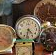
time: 4:31
